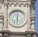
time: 12:30
